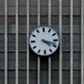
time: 4:17
